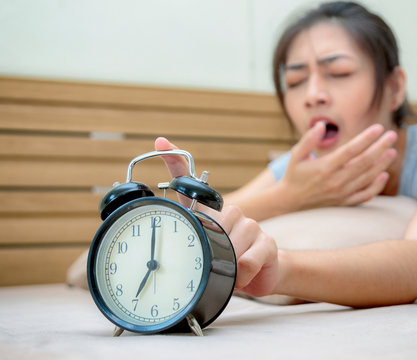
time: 7:00
